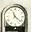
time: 11:21
